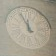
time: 11:55
